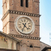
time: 4:33
